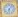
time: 6:06
